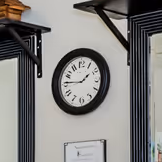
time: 1:46
